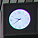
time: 9:39
